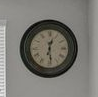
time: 12:28
